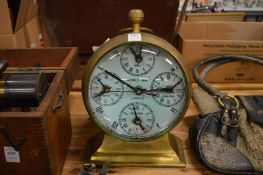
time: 2:50
